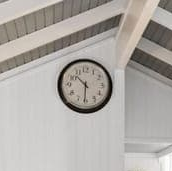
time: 10:30
